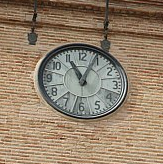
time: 11:04
